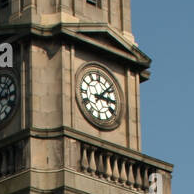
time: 3:07
